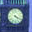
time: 4:19
